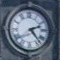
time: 2:23
